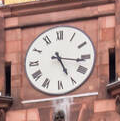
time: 5:16
